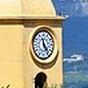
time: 11:23
